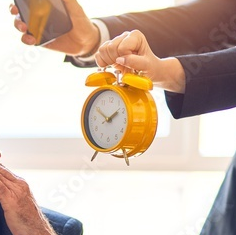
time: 1:50
